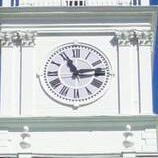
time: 11:13
